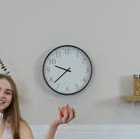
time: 9:37
